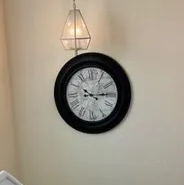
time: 10:14
